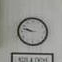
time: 9:47
